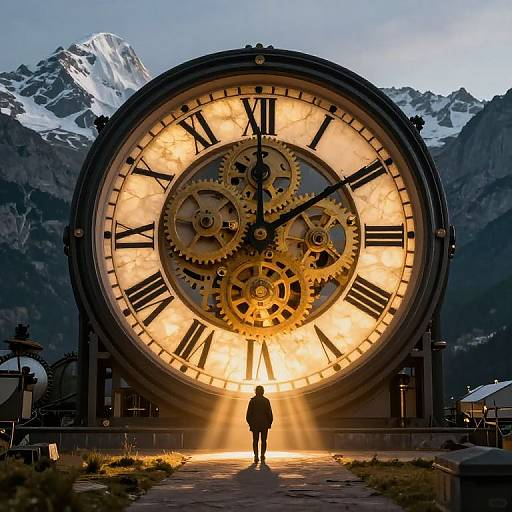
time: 12:09
